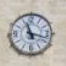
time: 11:17
